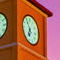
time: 6:54
